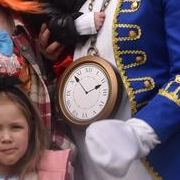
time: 1:53
